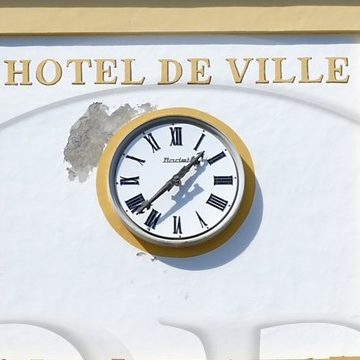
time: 1:37
